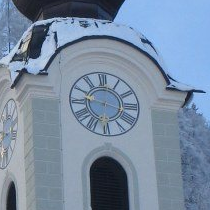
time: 9:17
